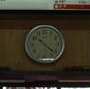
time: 10:22
